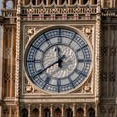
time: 11:39
